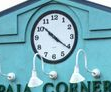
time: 10:20
